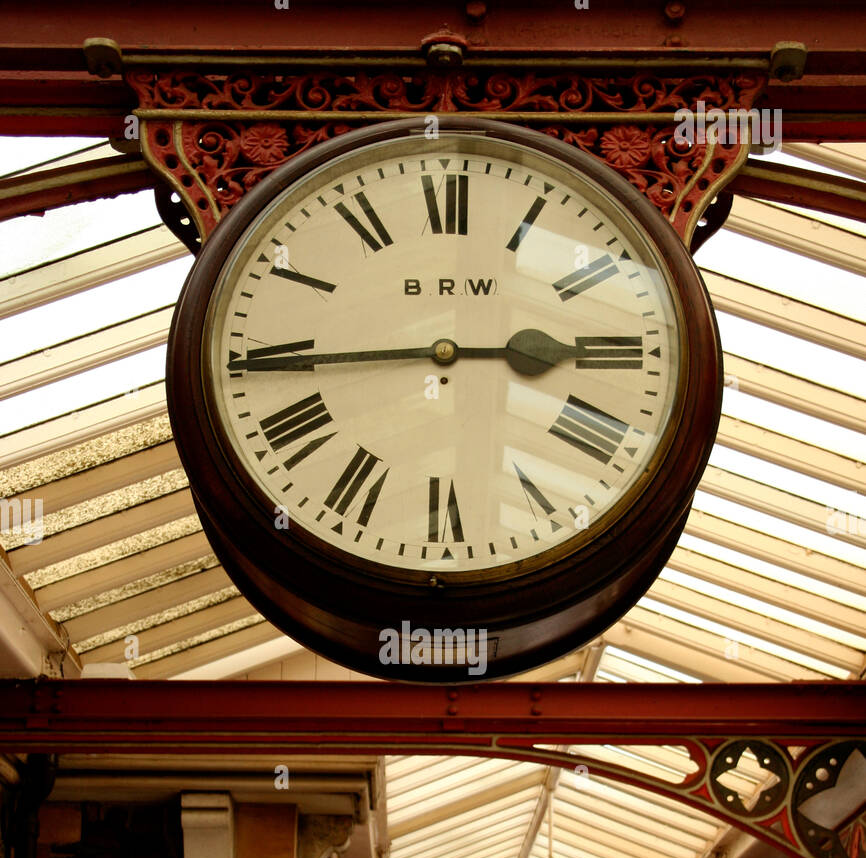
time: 2:44
